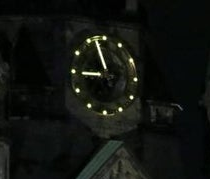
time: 8:57
